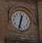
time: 12:32
